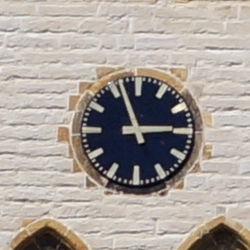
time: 2:56
